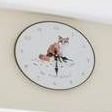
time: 3:29
